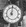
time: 7:01
